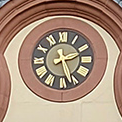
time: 2:27
